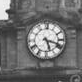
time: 5:18
